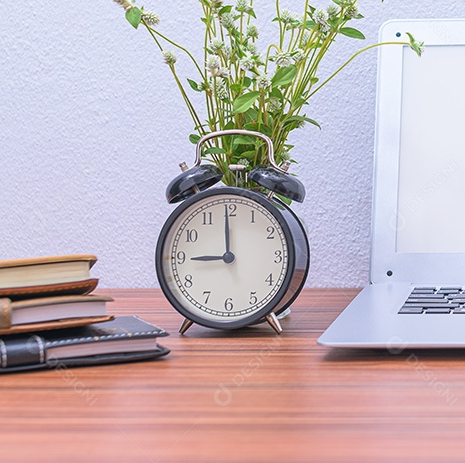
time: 8:59
